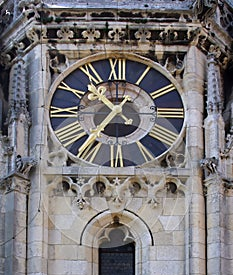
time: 10:36
